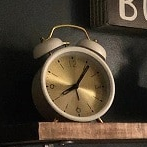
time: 8:06
